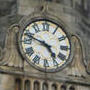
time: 4:48
